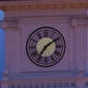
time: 7:09
